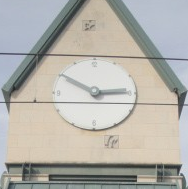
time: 2:50
